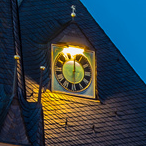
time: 6:00
